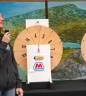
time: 9:01
